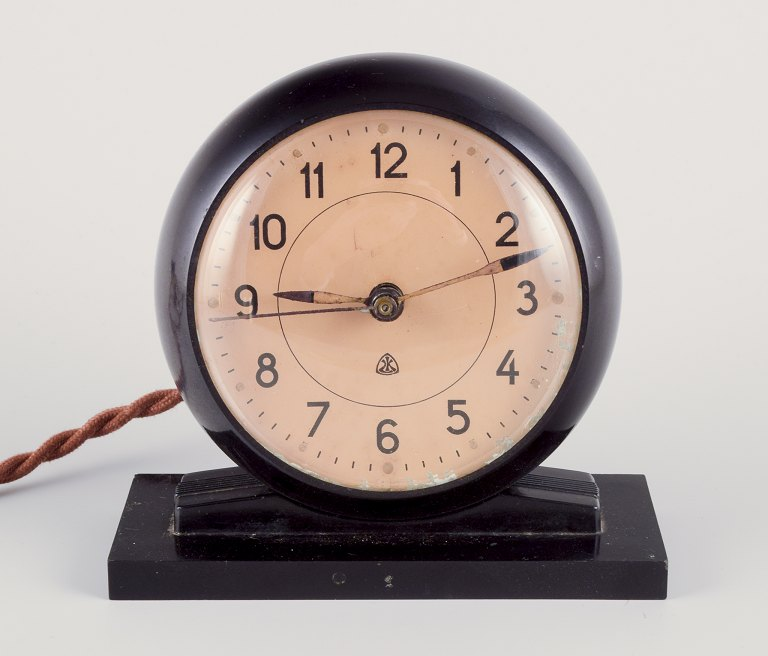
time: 9:12
